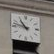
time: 10:47
